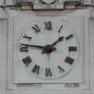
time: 1:46
